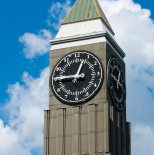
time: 12:45
